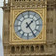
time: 1:24
